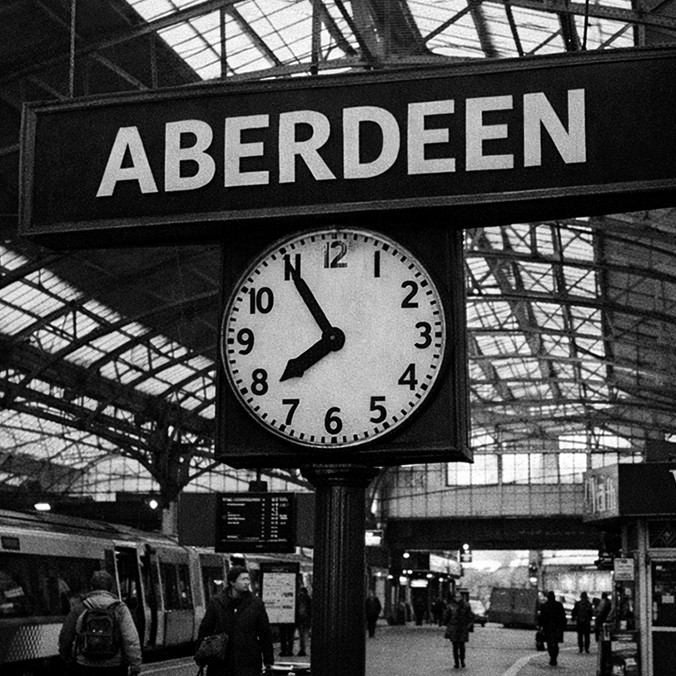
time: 7:54
